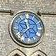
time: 11:37
